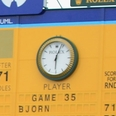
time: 6:03
